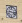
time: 9:17
